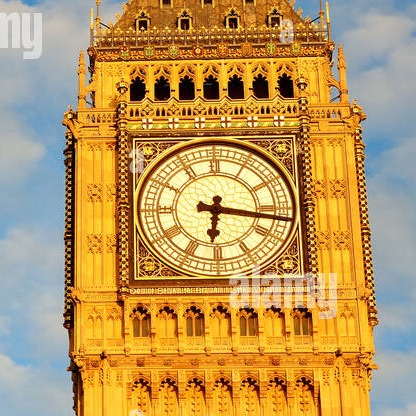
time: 6:16
